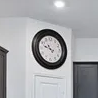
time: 10:48
